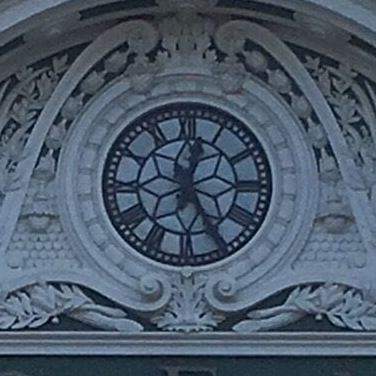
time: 12:25
